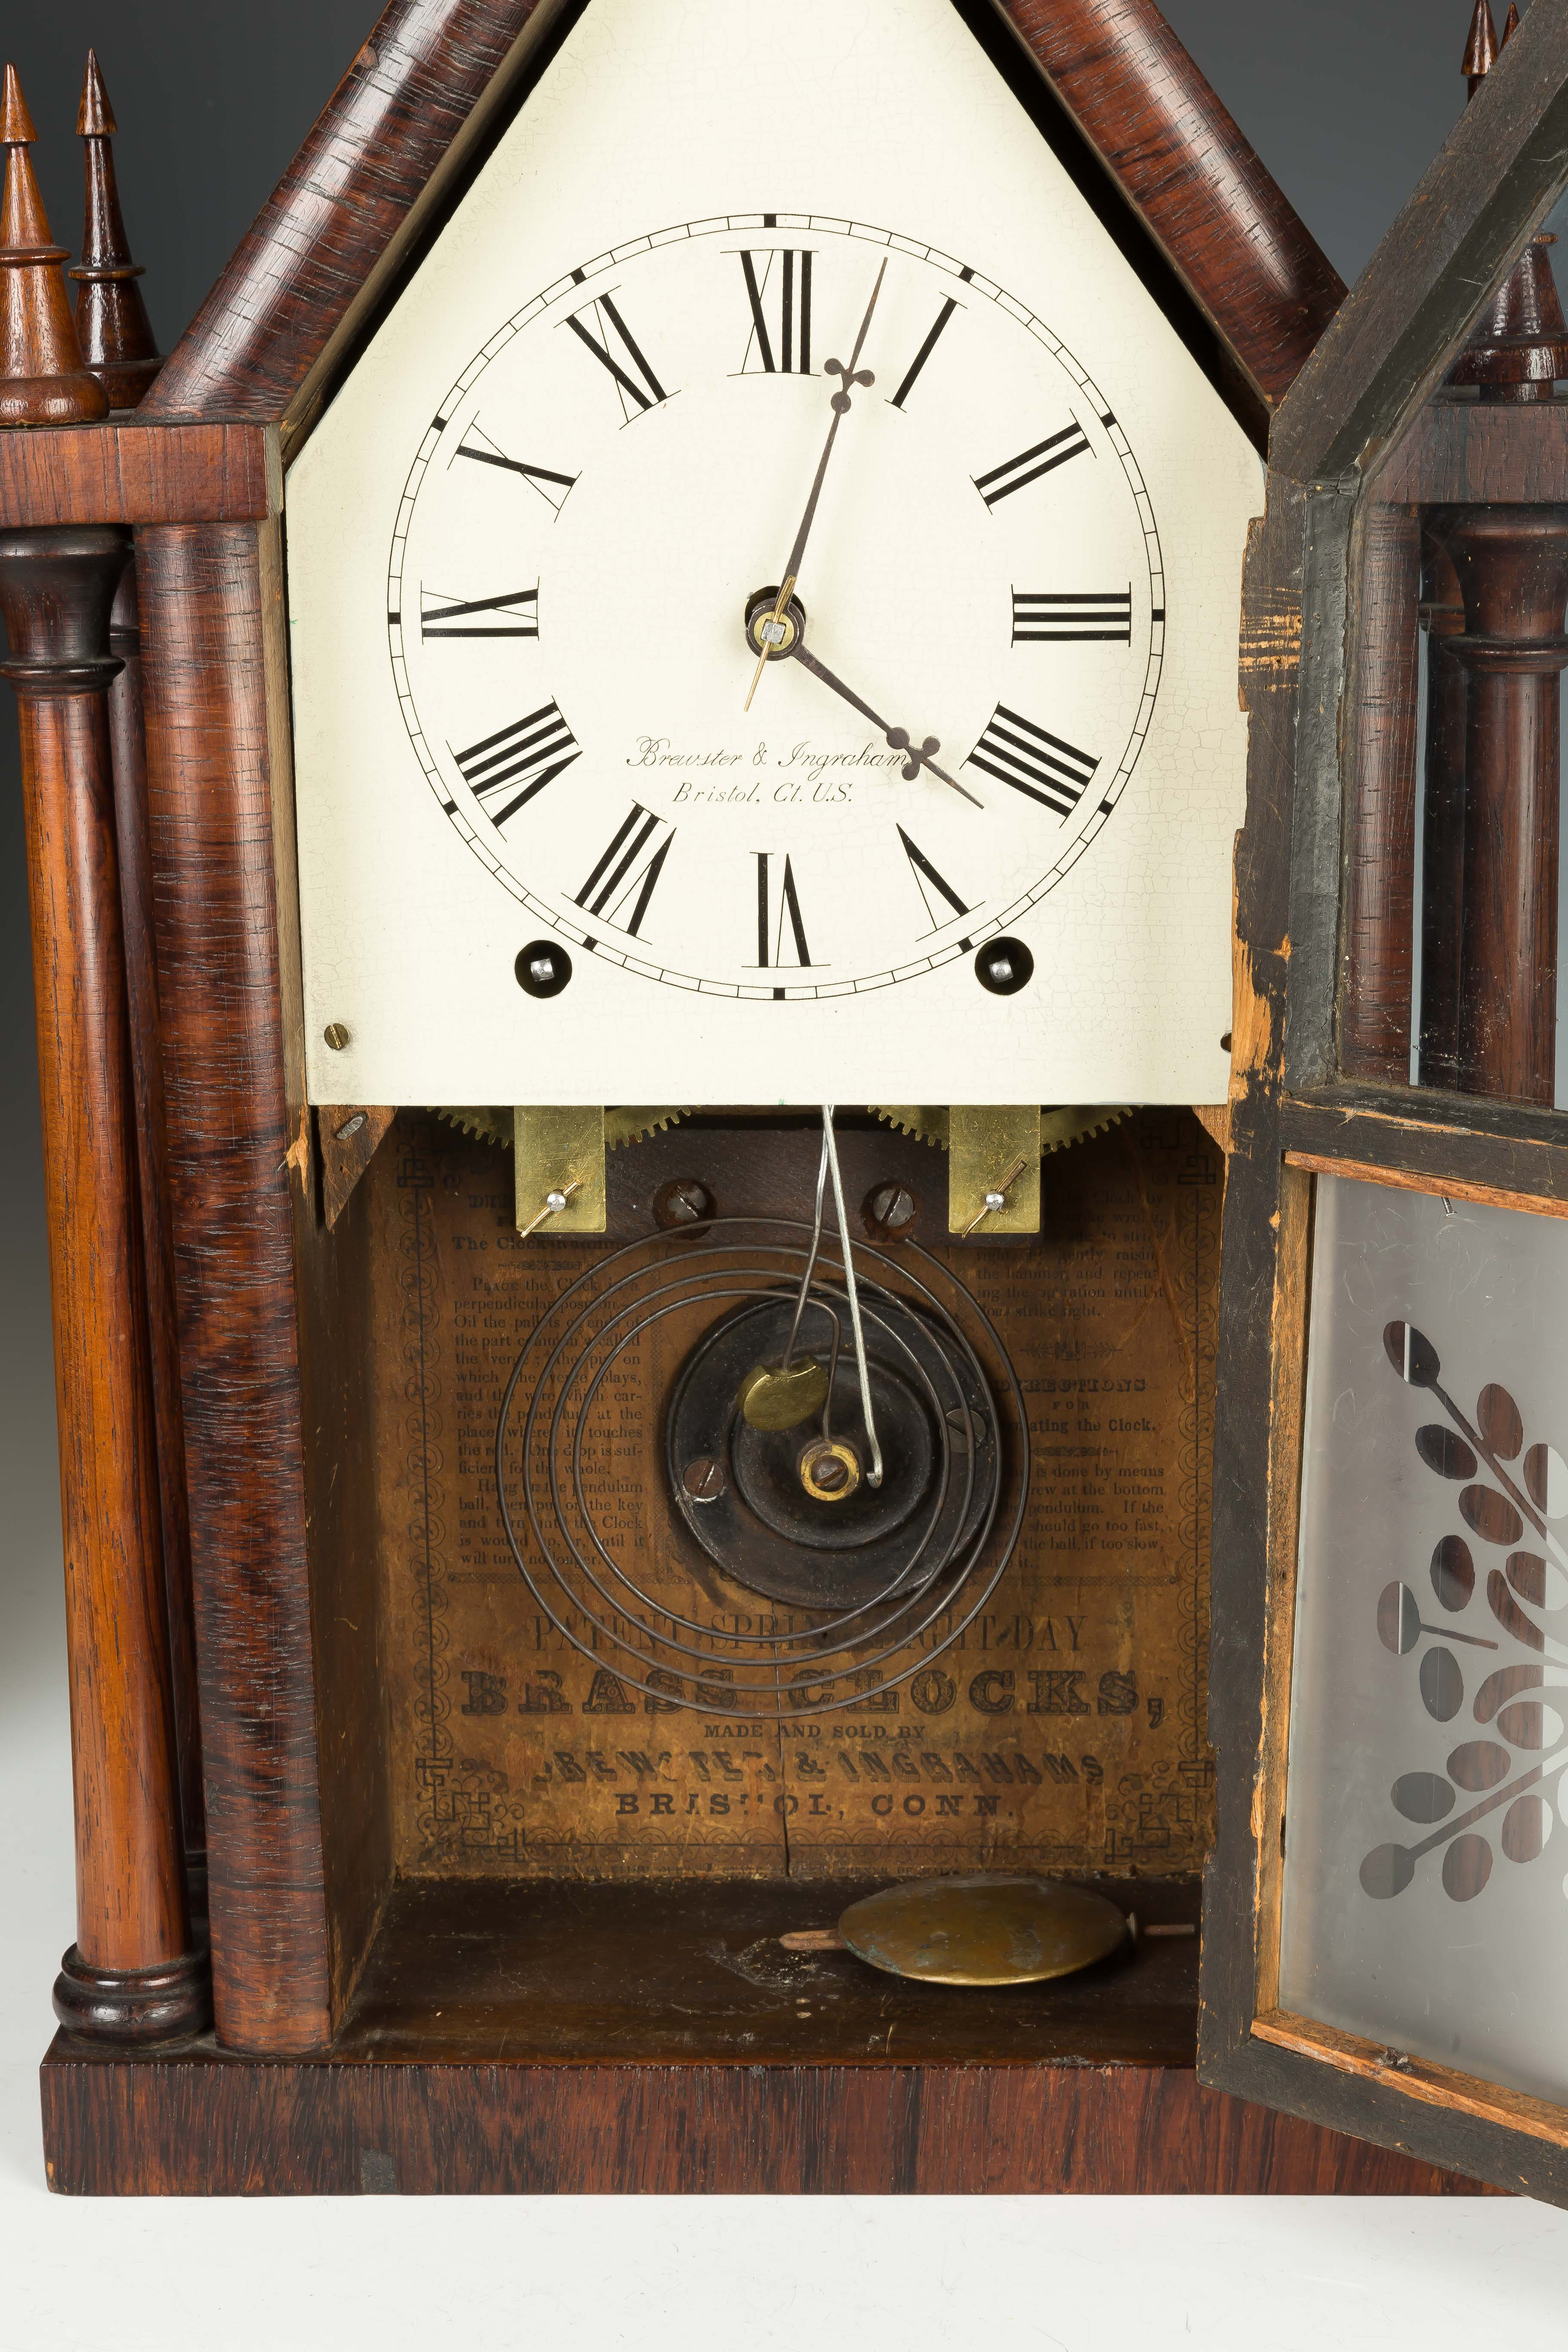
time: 4:02
